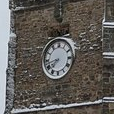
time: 7:42
